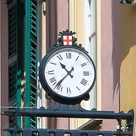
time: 10:36
